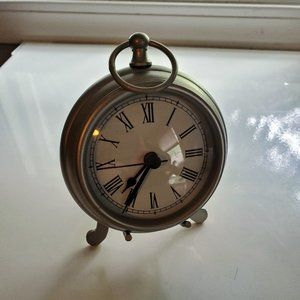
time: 7:35
